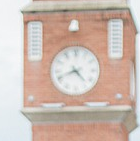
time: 4:41
